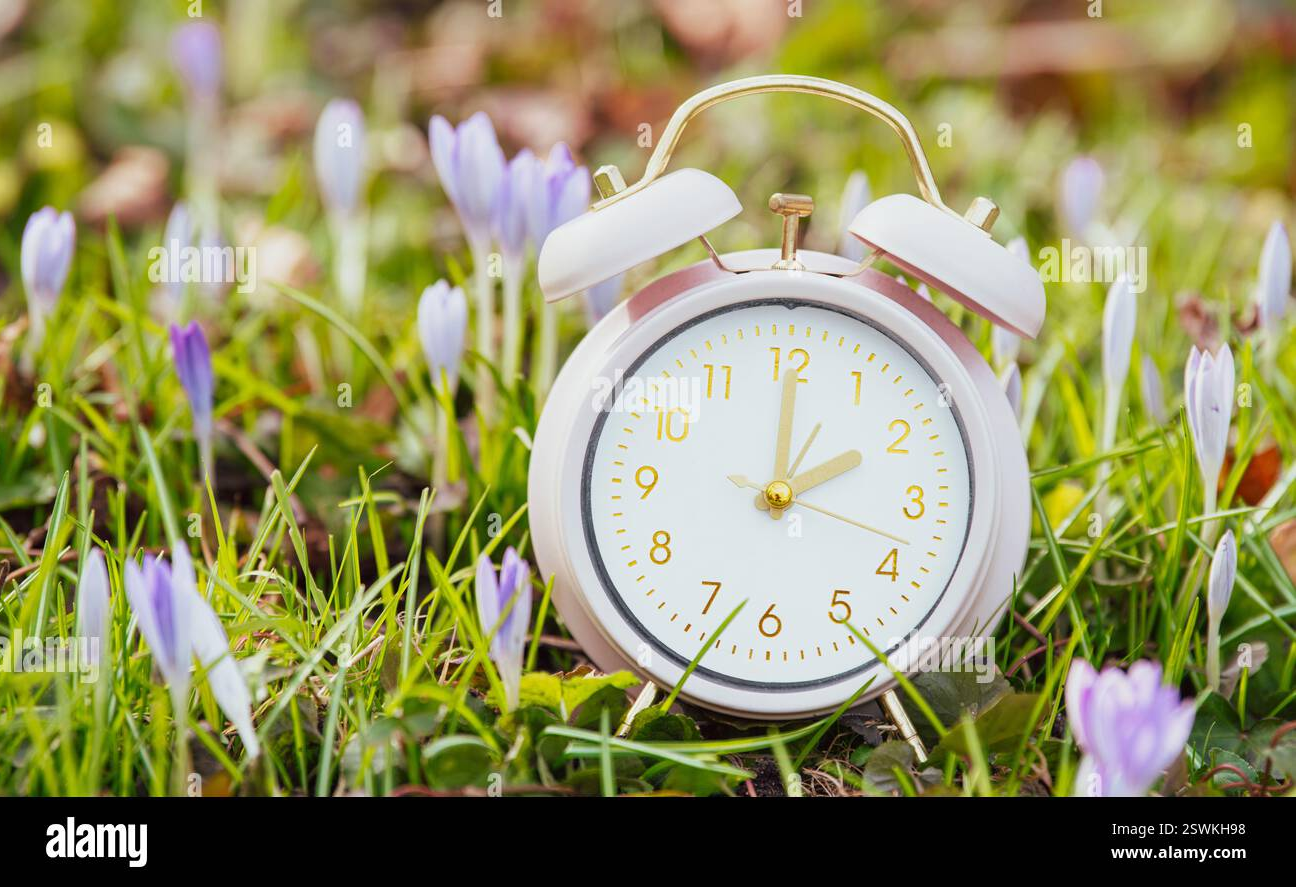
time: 2:00
